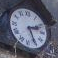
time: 2:25
